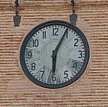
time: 6:04
